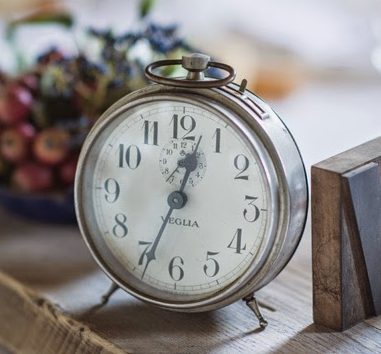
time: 12:33
